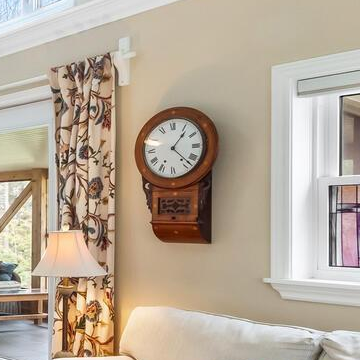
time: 1:22
